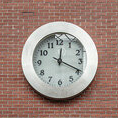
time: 12:19
